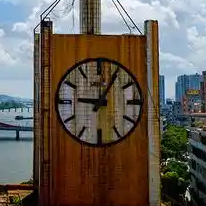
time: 9:05
